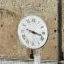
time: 3:17
